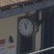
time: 11:03
